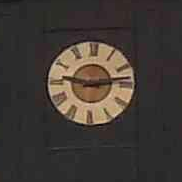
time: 9:13
